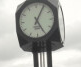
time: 5:04
